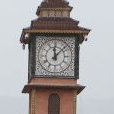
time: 12:07
